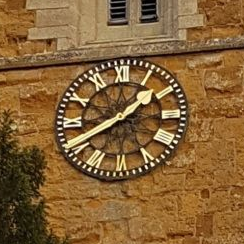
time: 1:40
